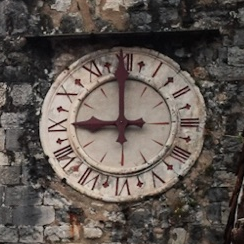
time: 8:59
